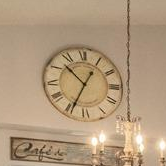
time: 10:34
